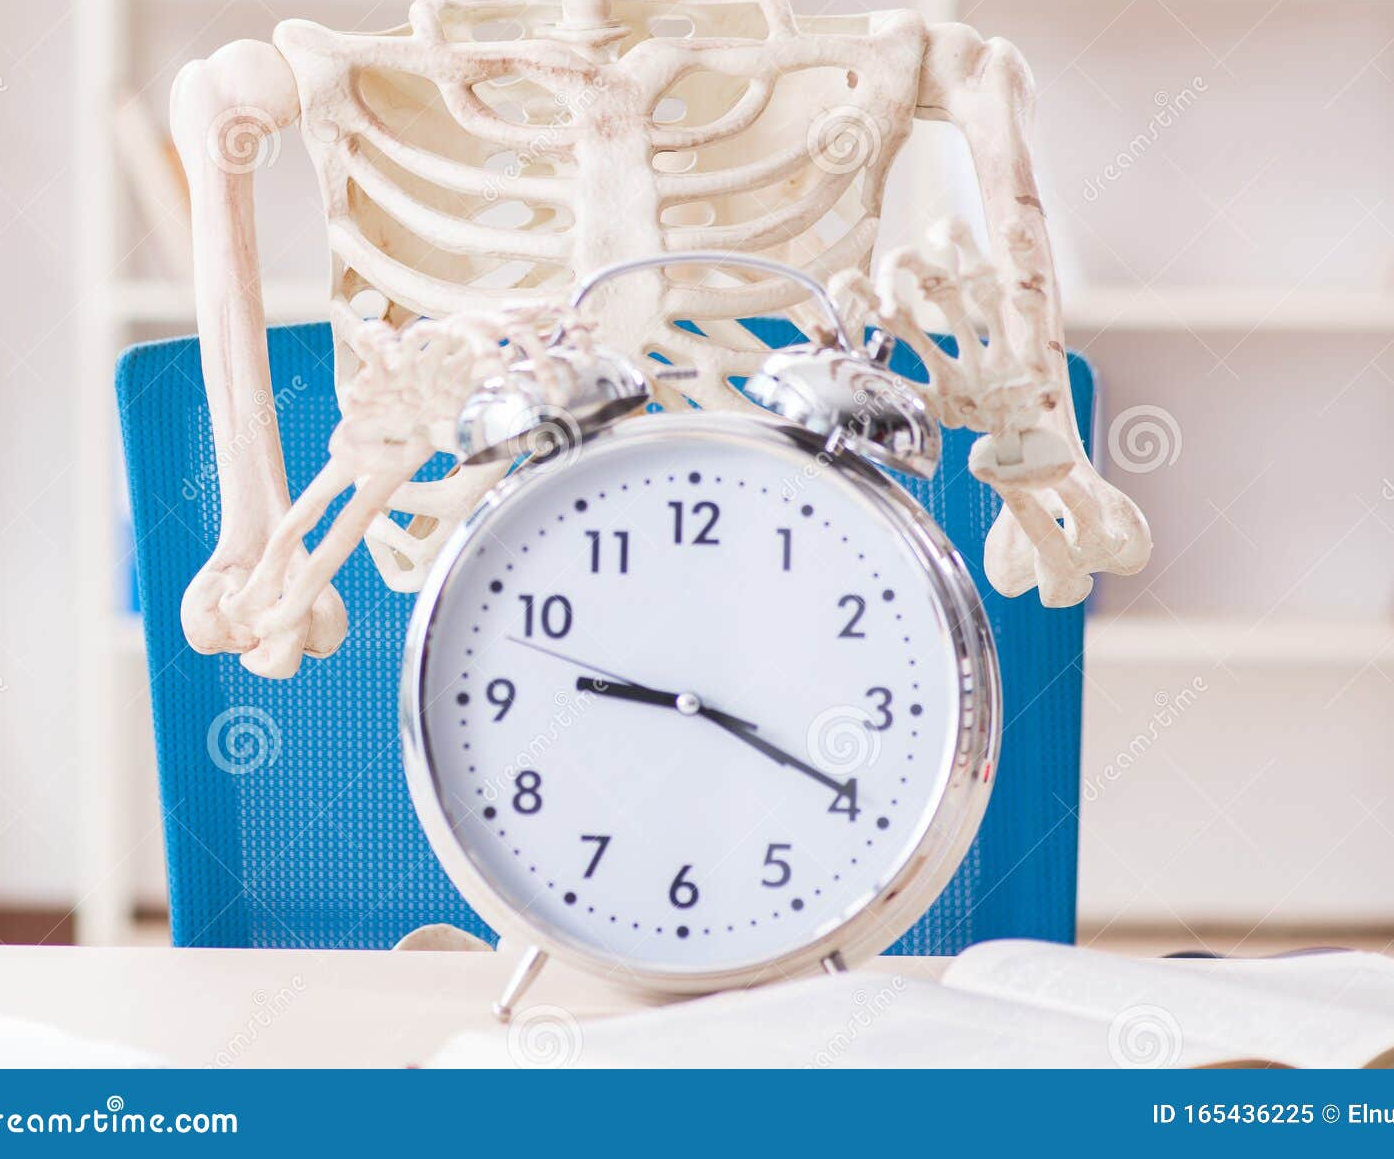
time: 9:19
